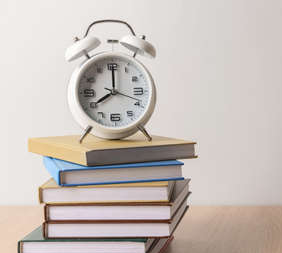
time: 8:00
